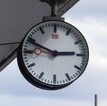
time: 2:48
